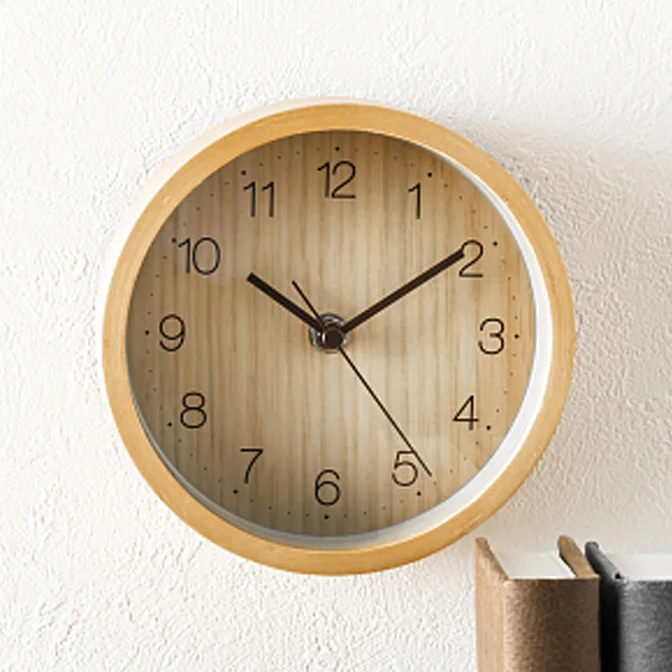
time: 10:09
